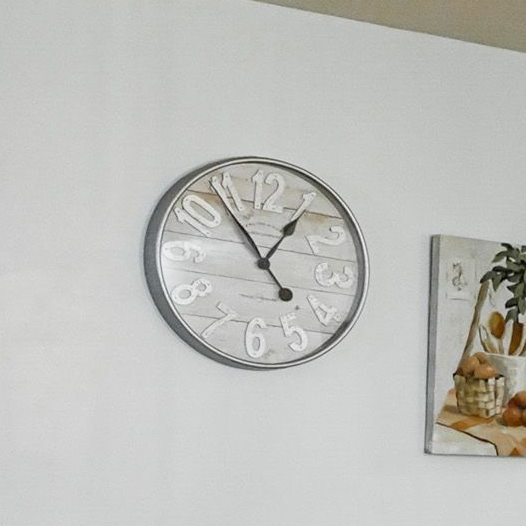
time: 12:53
